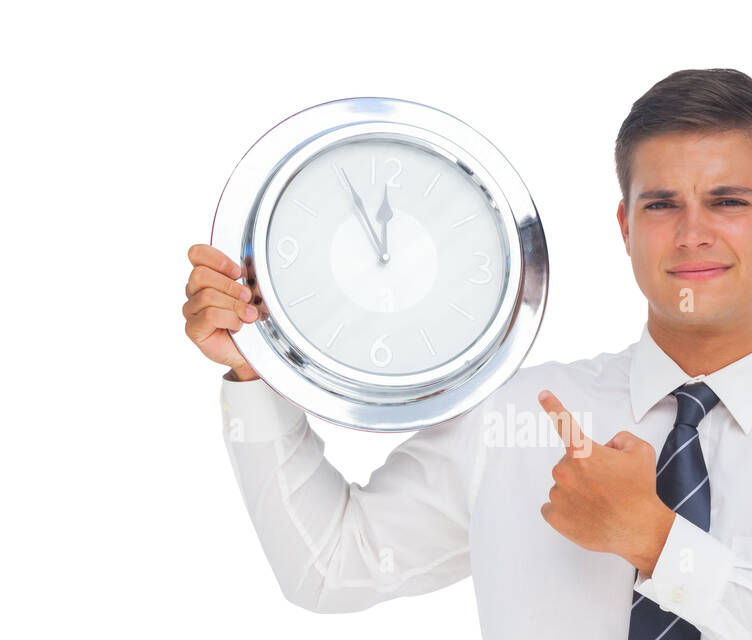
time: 11:55
